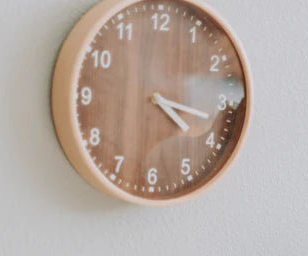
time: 4:17
